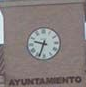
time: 9:33
